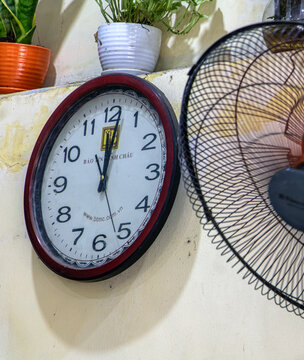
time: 12:01
